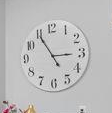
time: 2:54
